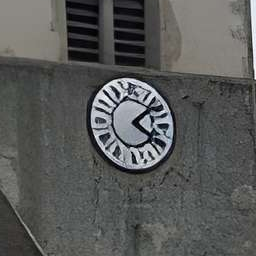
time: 4:07
